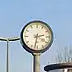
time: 2:32
